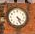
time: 4:26
